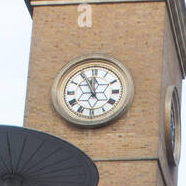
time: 11:55
